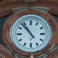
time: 10:53
